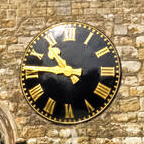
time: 10:45
